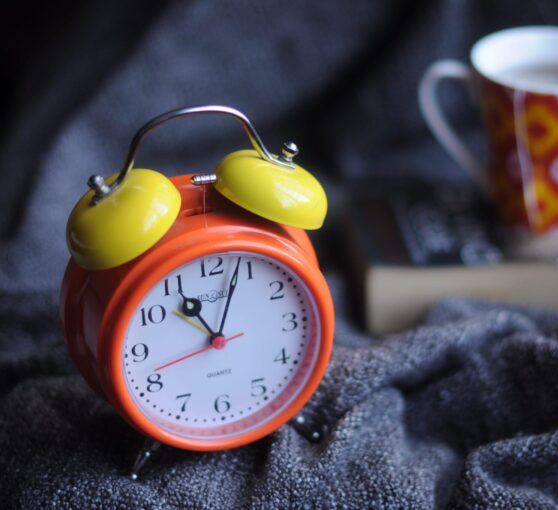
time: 11:03
